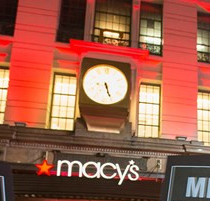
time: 5:26
